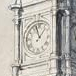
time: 11:07
